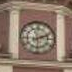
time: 2:11
